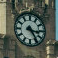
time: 3:24
